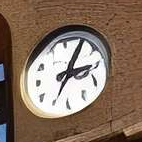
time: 3:04
